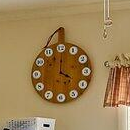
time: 4:00
